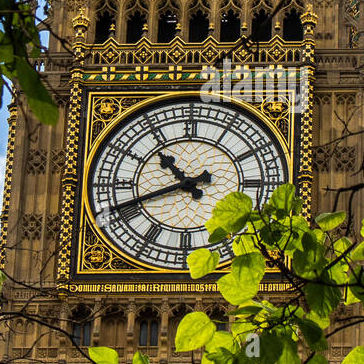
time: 10:41
